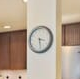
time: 3:28
